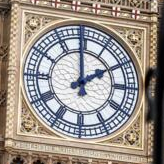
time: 1:59
